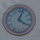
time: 4:03
